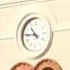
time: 10:45
